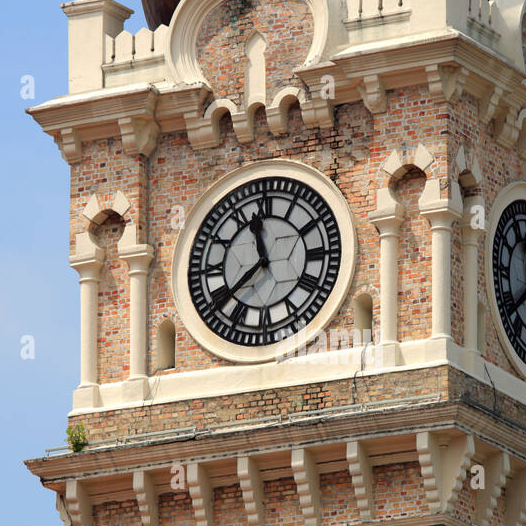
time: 11:37
